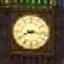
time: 8:16
